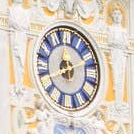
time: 8:12
